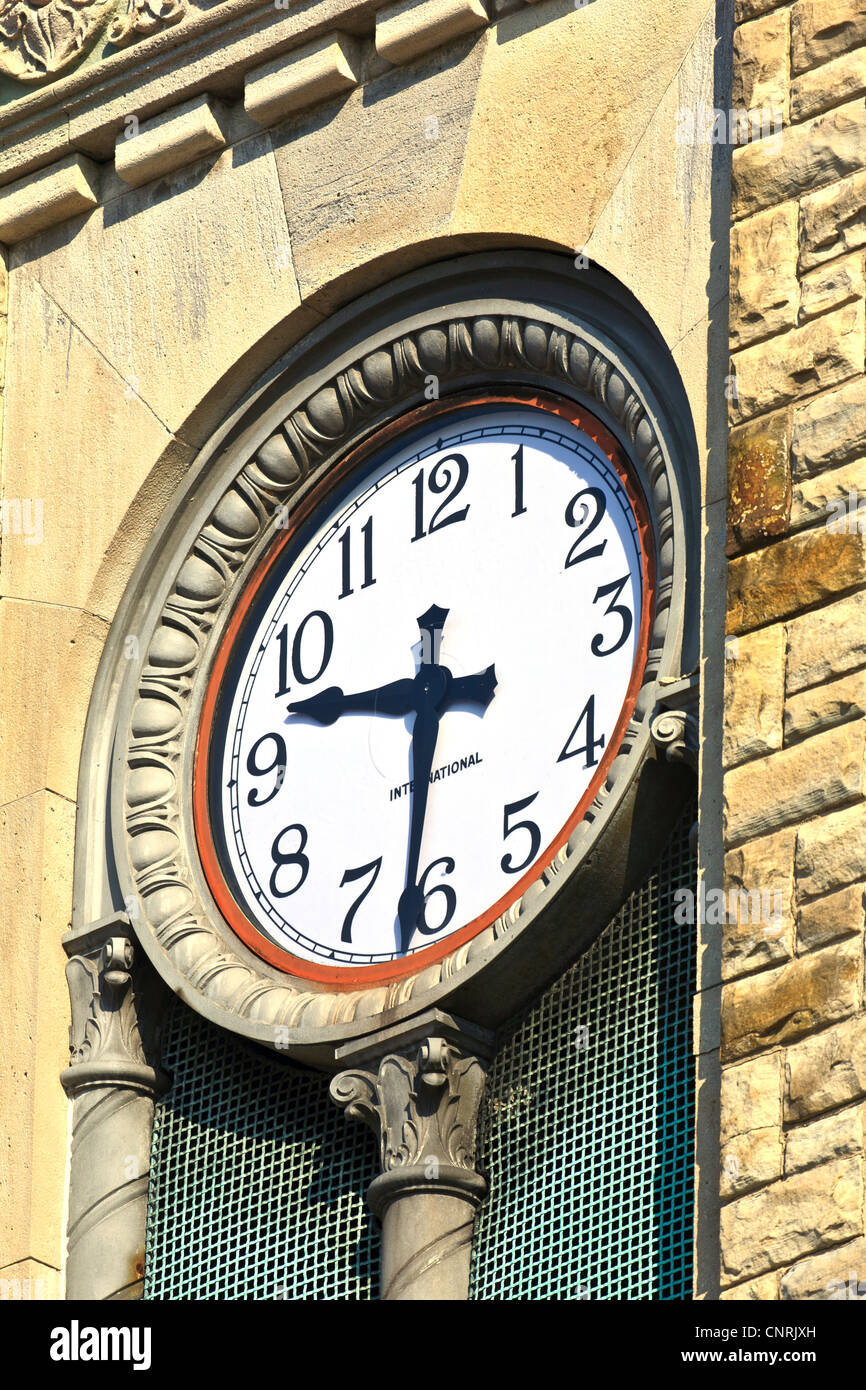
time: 9:31
